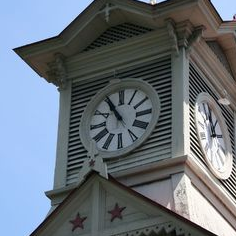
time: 10:55
